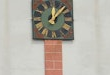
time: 12:07
